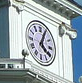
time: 4:04
